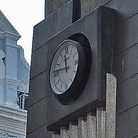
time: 11:46
